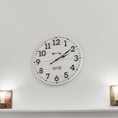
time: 2:09
